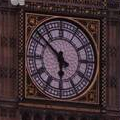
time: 5:51
